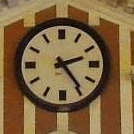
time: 2:24
